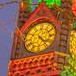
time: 4:23
